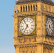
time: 6:54
